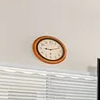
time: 9:11
